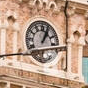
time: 1:03
